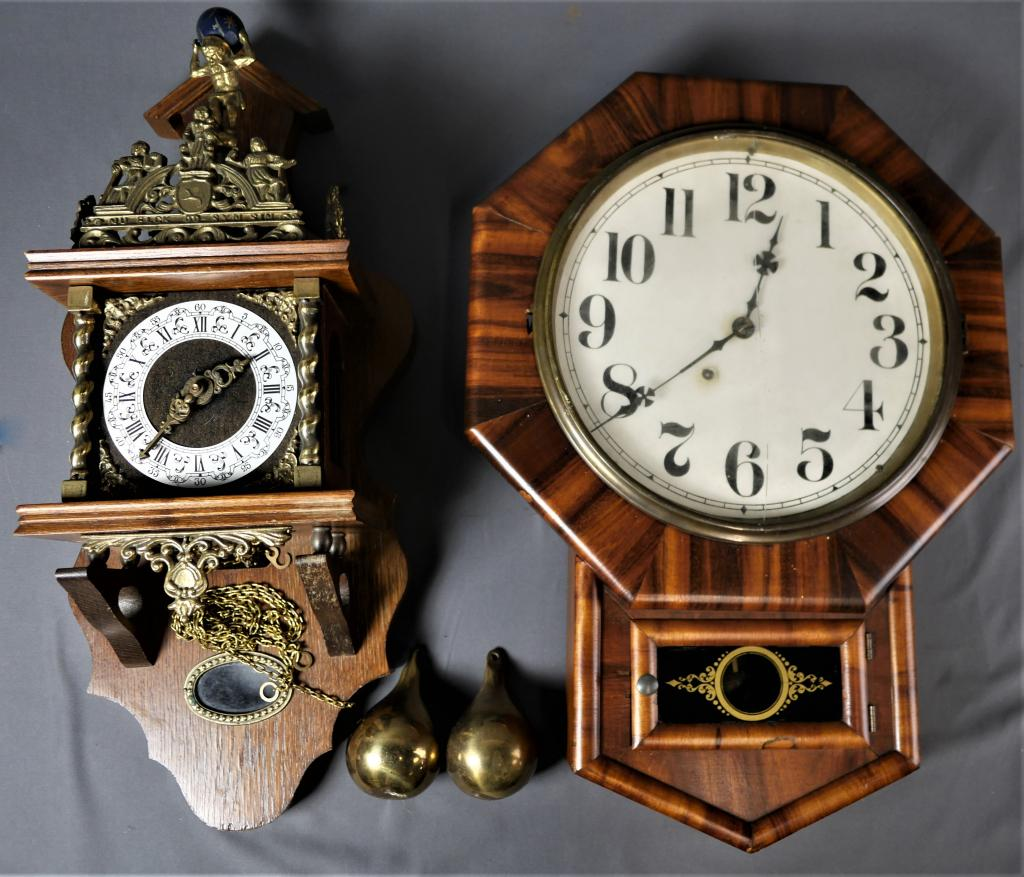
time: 12:38
